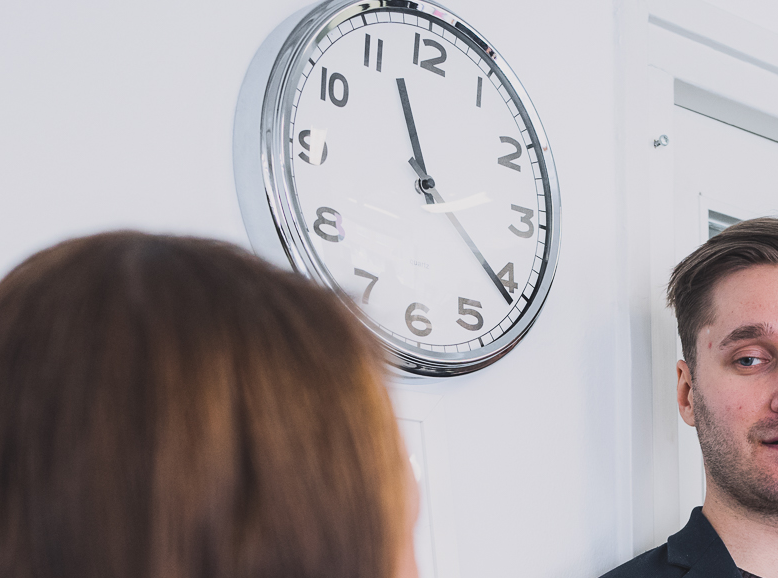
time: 11:21
